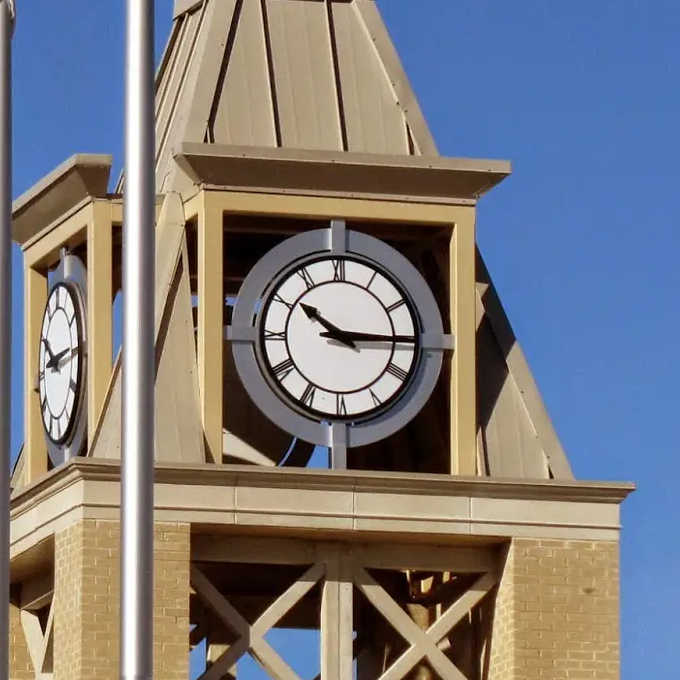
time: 10:15
